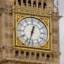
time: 12:32
